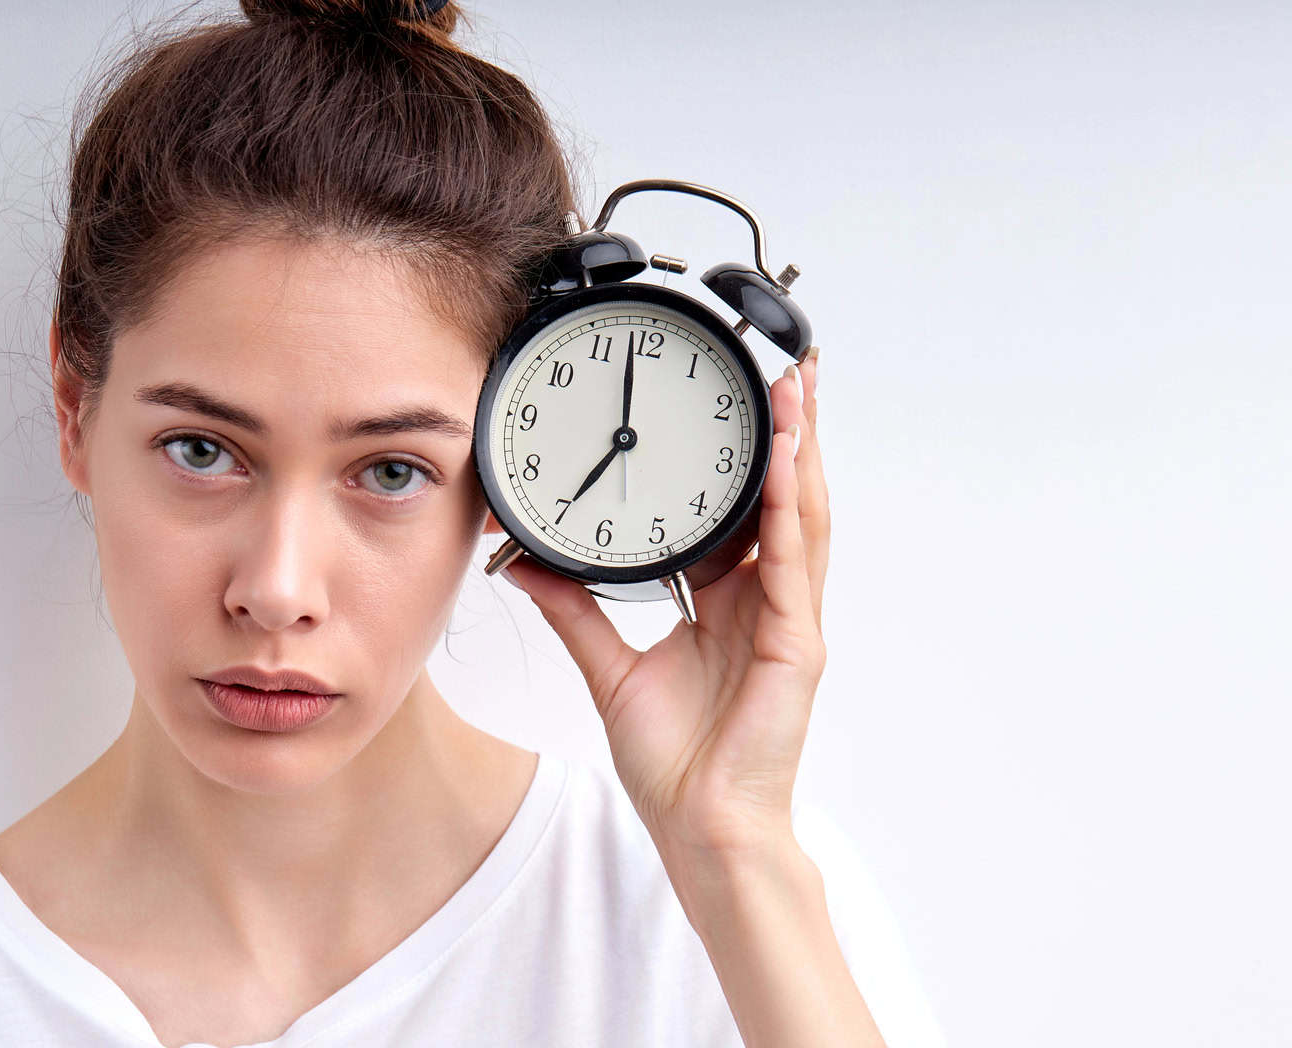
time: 6:58
